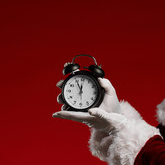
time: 11:55
